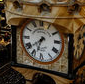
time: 6:38
